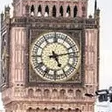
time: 5:12
